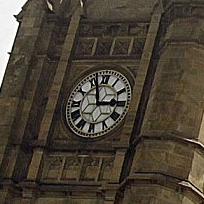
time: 2:56
